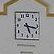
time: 5:17
